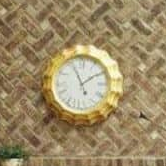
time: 11:09
